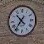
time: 10:36
